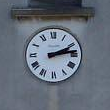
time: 2:13
